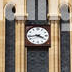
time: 3:43
